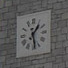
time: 1:28
